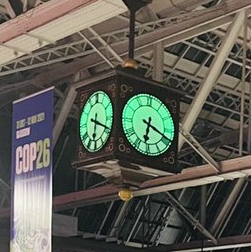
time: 6:19
